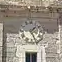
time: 1:26
